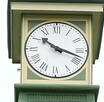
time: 10:18
